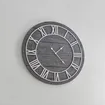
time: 1:23
